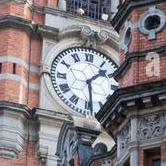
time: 1:28
